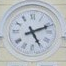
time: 5:11
